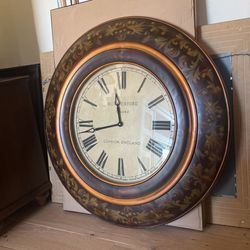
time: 11:42
